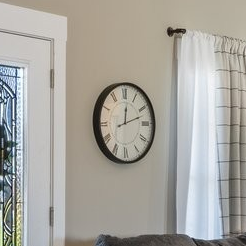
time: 12:12
